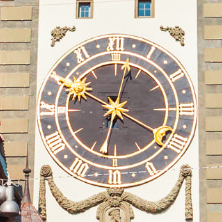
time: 10:02
